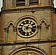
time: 1:16
